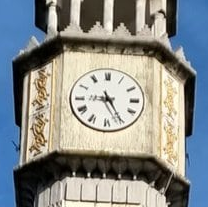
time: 9:25
